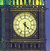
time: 4:30
